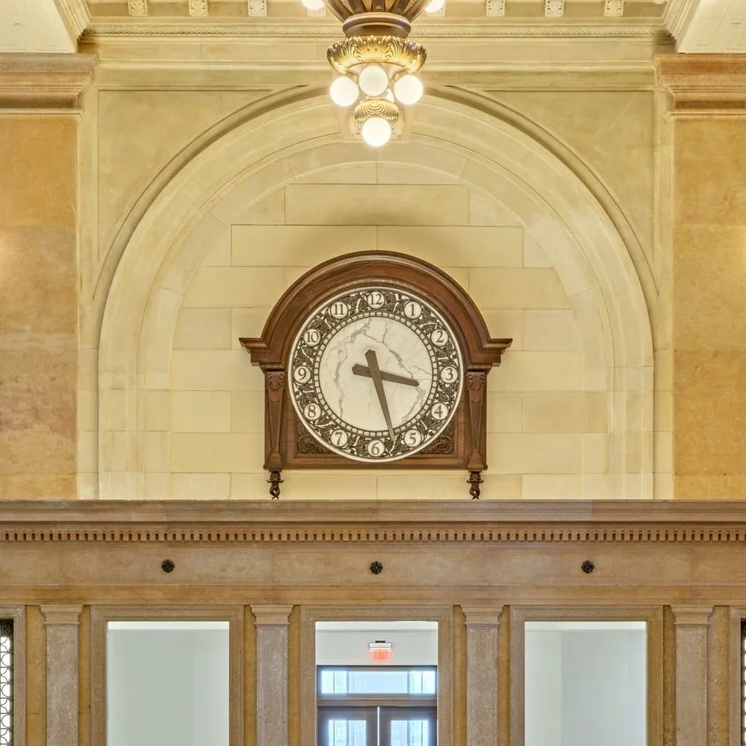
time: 3:27
